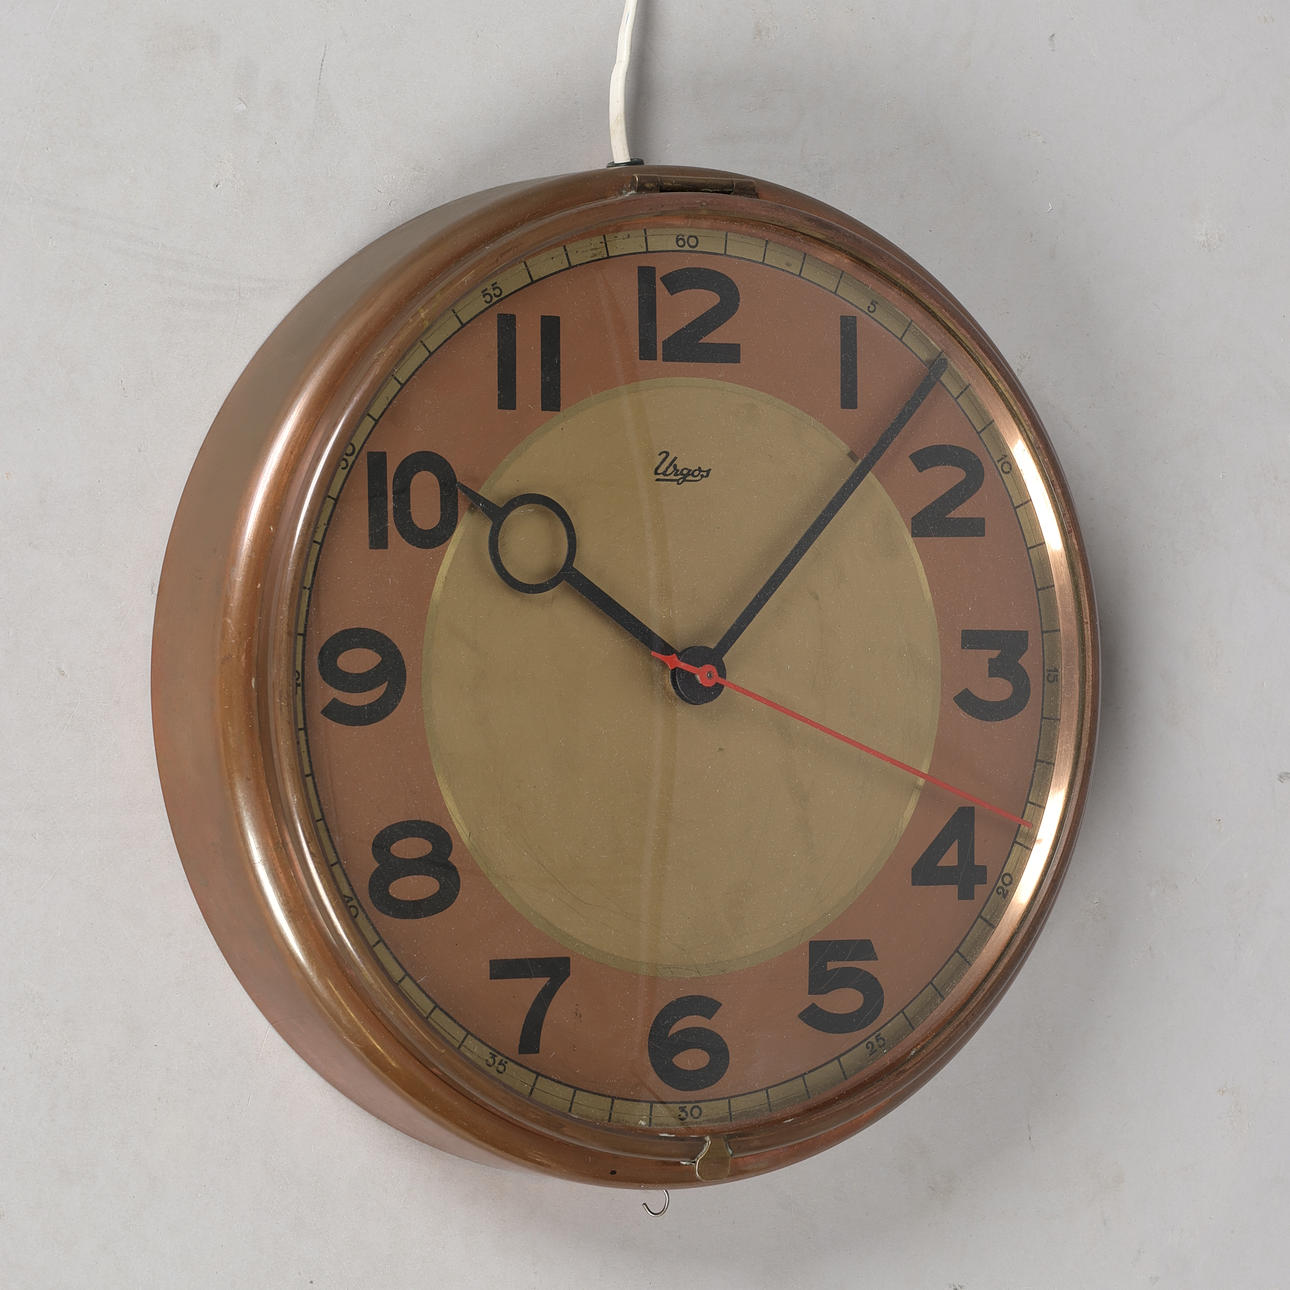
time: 10:07
